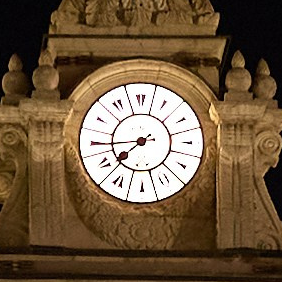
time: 7:44
